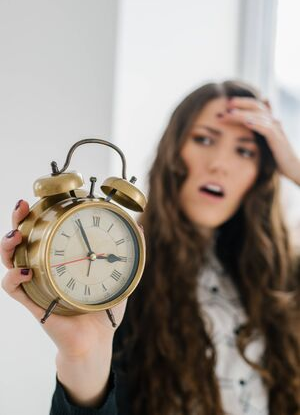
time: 2:55
